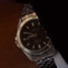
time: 7:45
